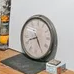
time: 8:24
